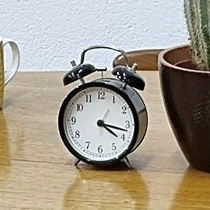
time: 4:17
